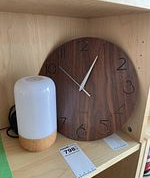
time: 1:04
